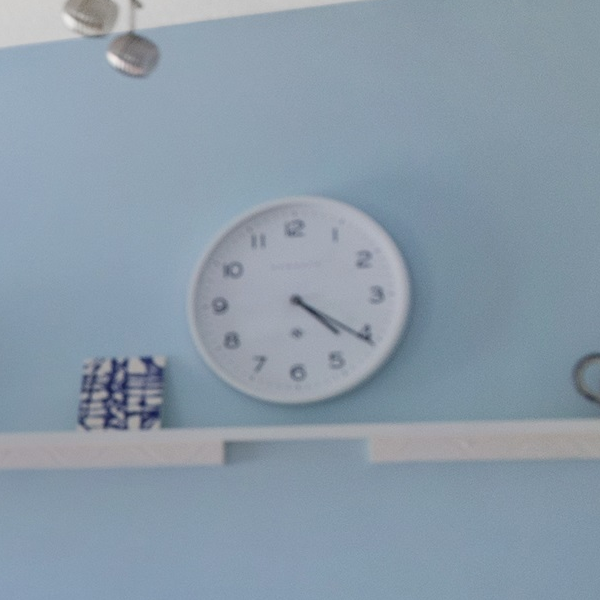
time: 4:20
